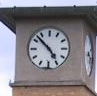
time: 4:52
